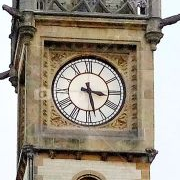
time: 3:27
